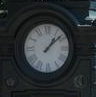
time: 1:08
